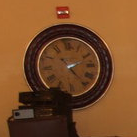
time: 2:23
